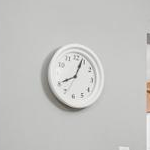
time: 12:40
